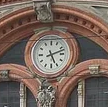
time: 5:12
